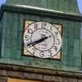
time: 7:40
